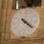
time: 4:21
